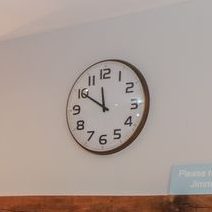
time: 11:50
